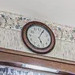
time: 5:04
